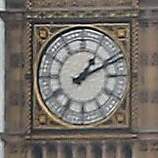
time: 1:10
